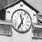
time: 11:35
